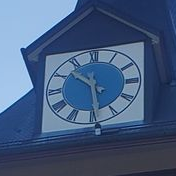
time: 10:29
